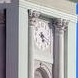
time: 5:18
